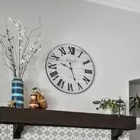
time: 9:26
